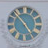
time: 4:52
